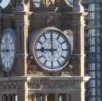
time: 8:59
